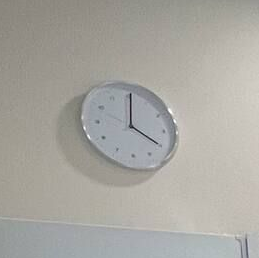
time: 4:00
